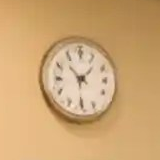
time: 1:29
